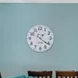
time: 1:21
